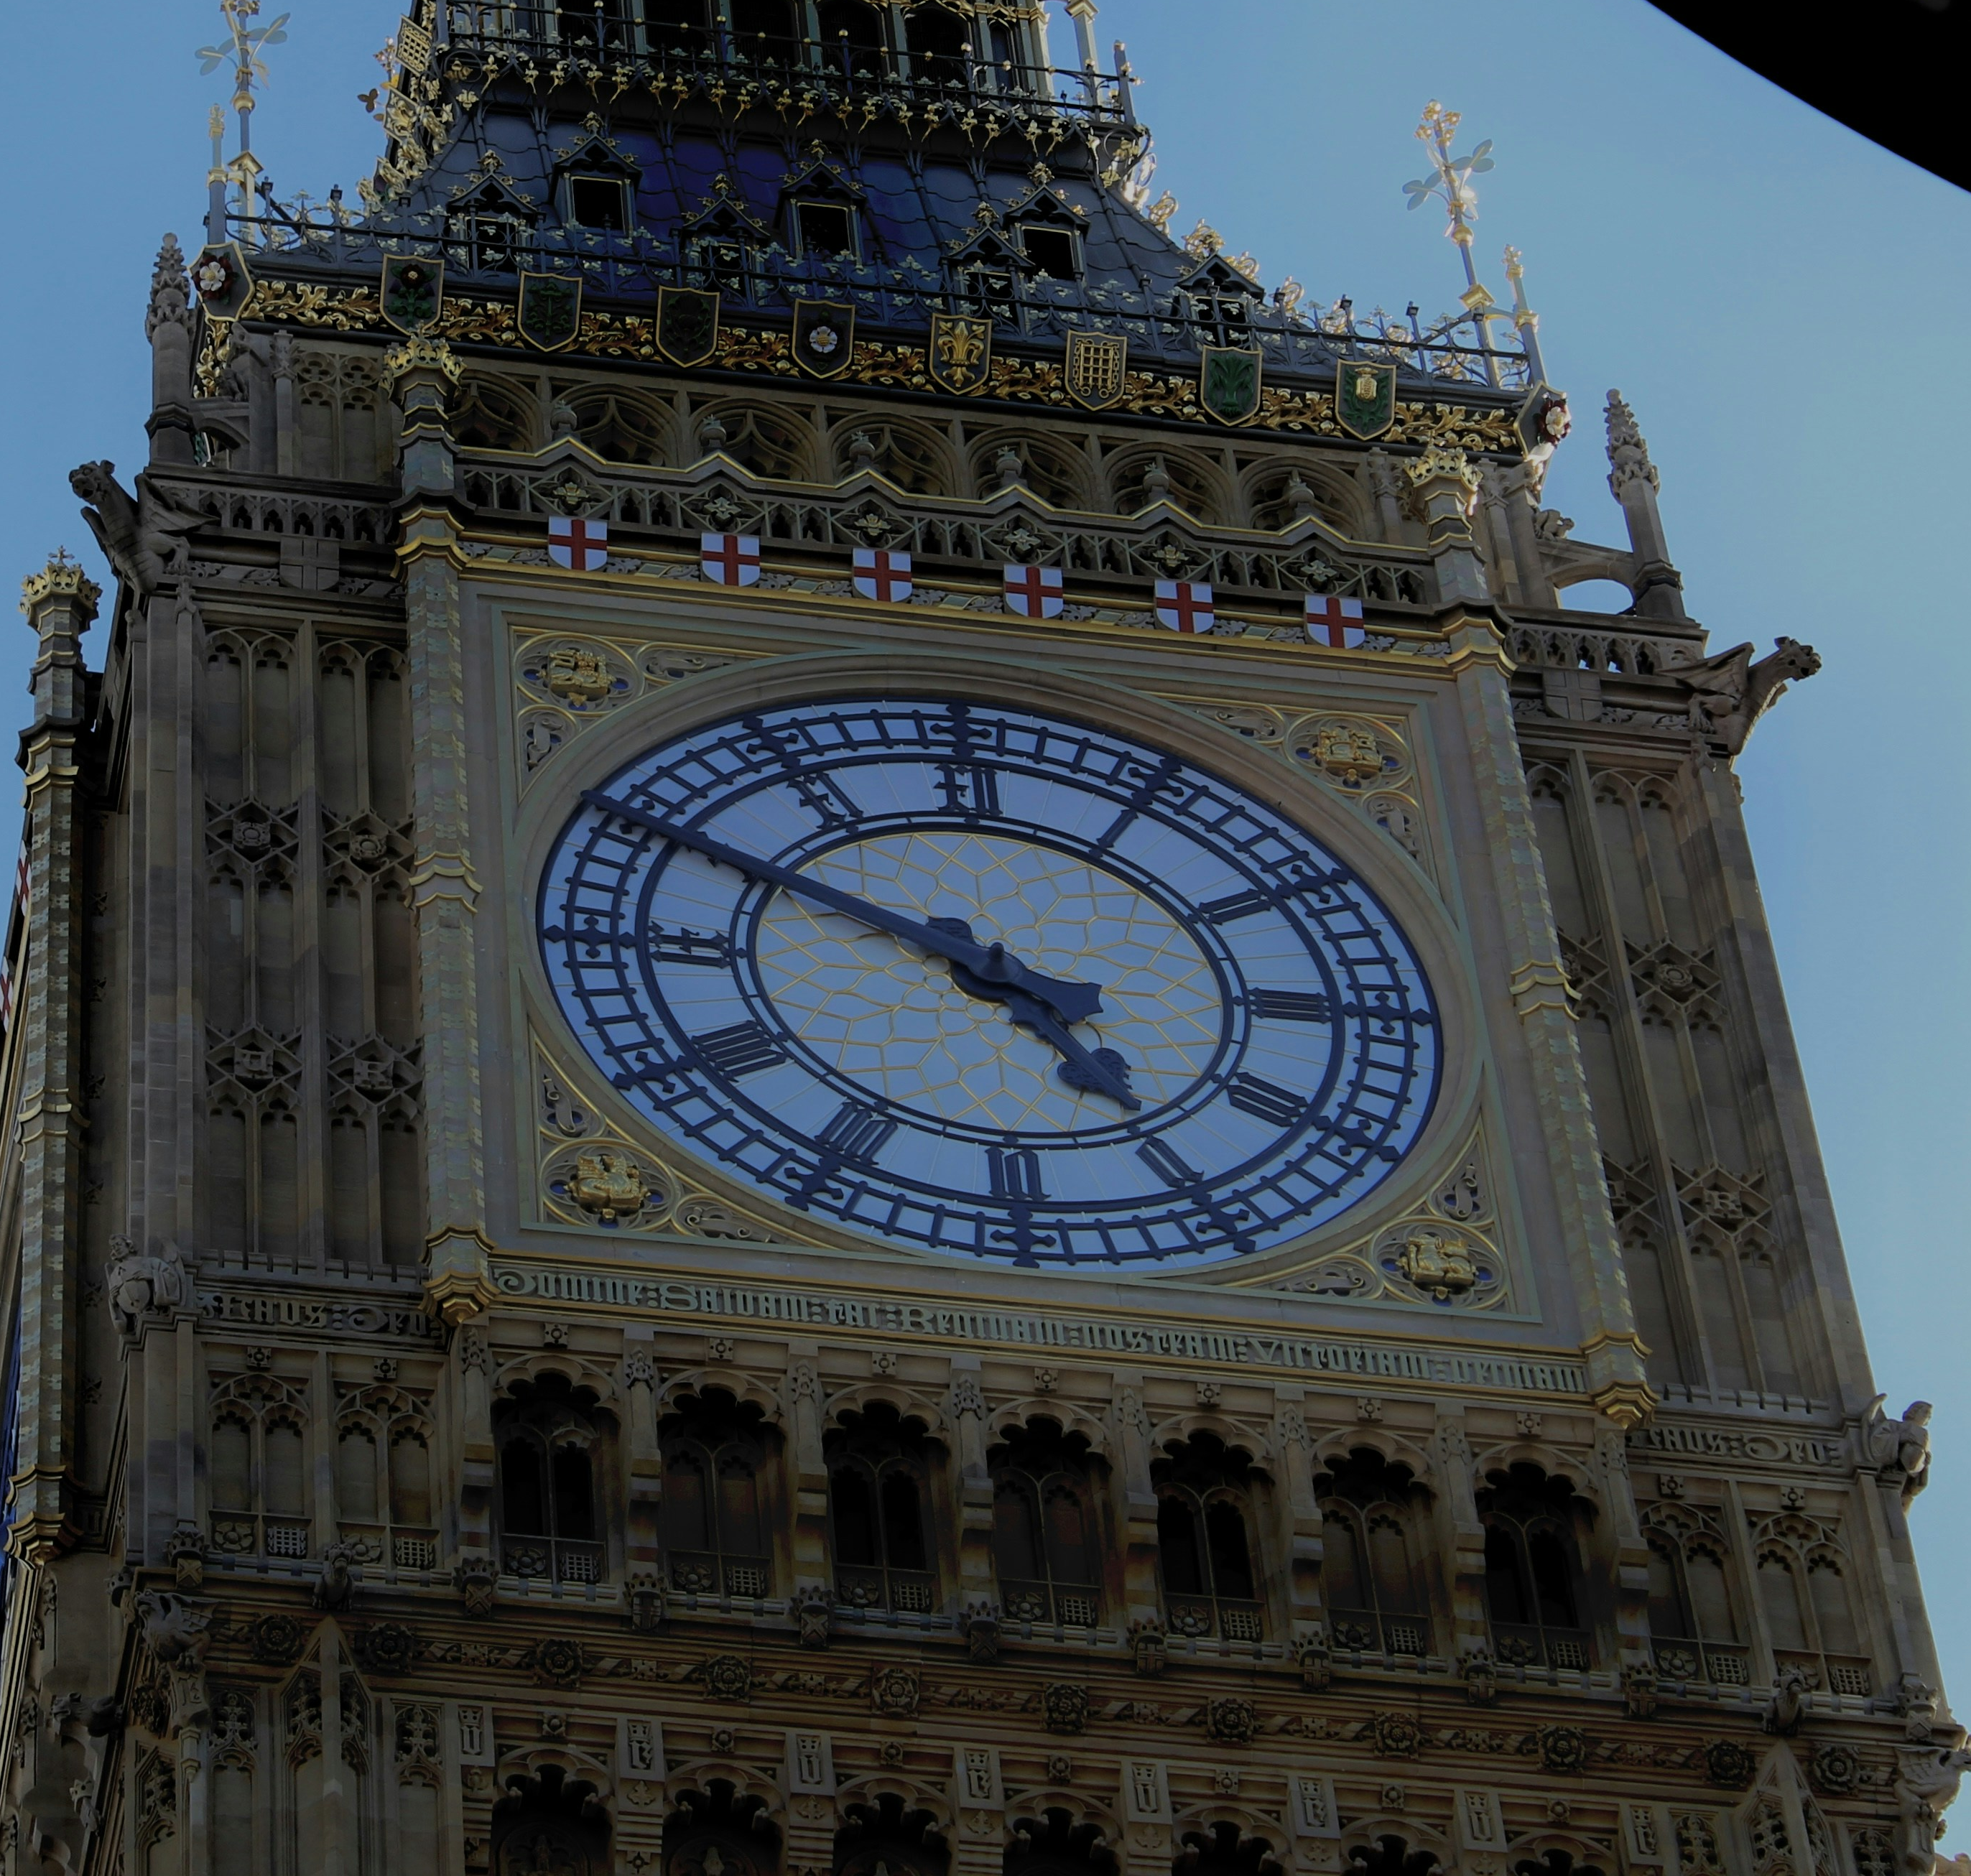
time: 4:49
